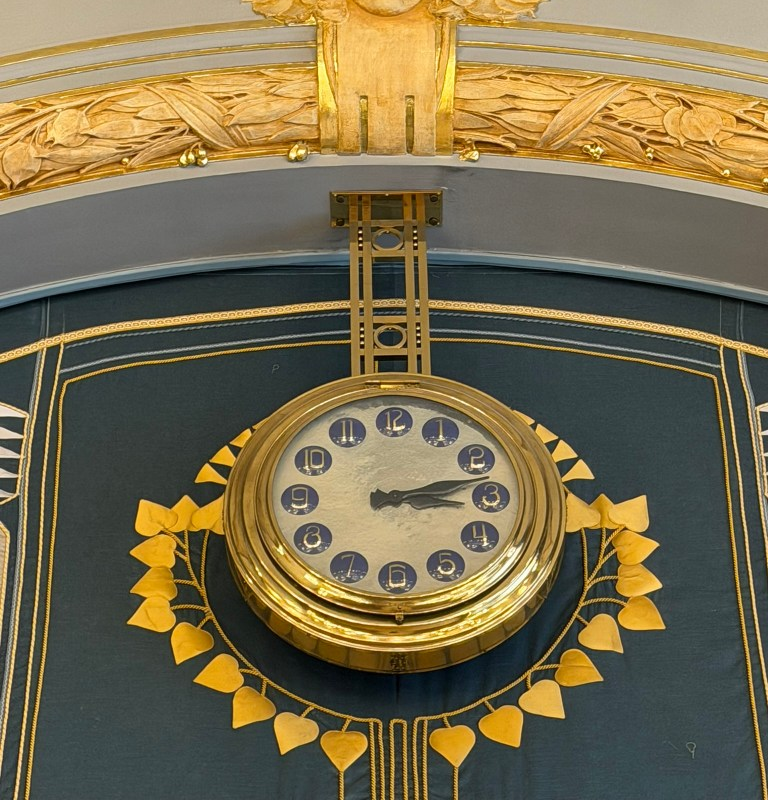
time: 3:12
